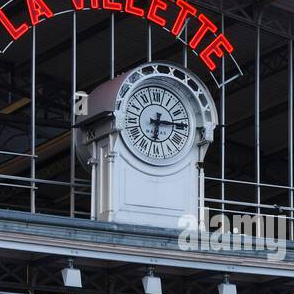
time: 6:14
